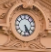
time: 5:24
